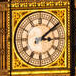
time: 3:09
